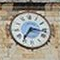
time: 7:16
